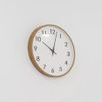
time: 10:02
